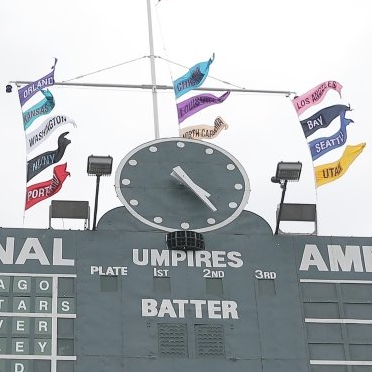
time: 4:23
